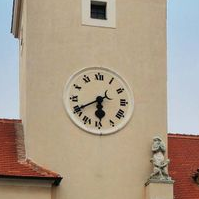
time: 5:40
